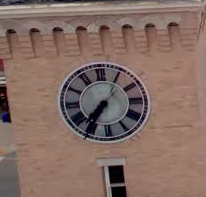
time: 7:35
